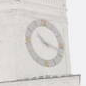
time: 10:17
